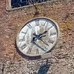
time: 2:21
